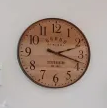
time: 2:18
